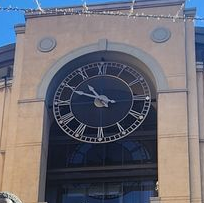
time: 10:49
